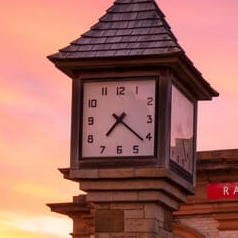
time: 7:21
